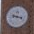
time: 9:17
